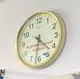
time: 4:31
